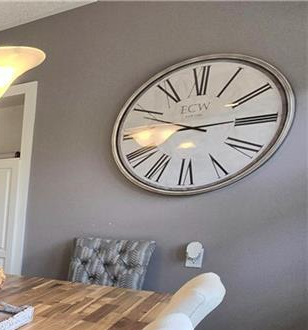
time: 2:49
